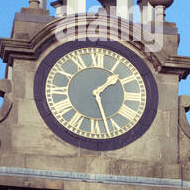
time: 1:27
